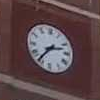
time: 2:36
